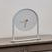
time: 8:32
